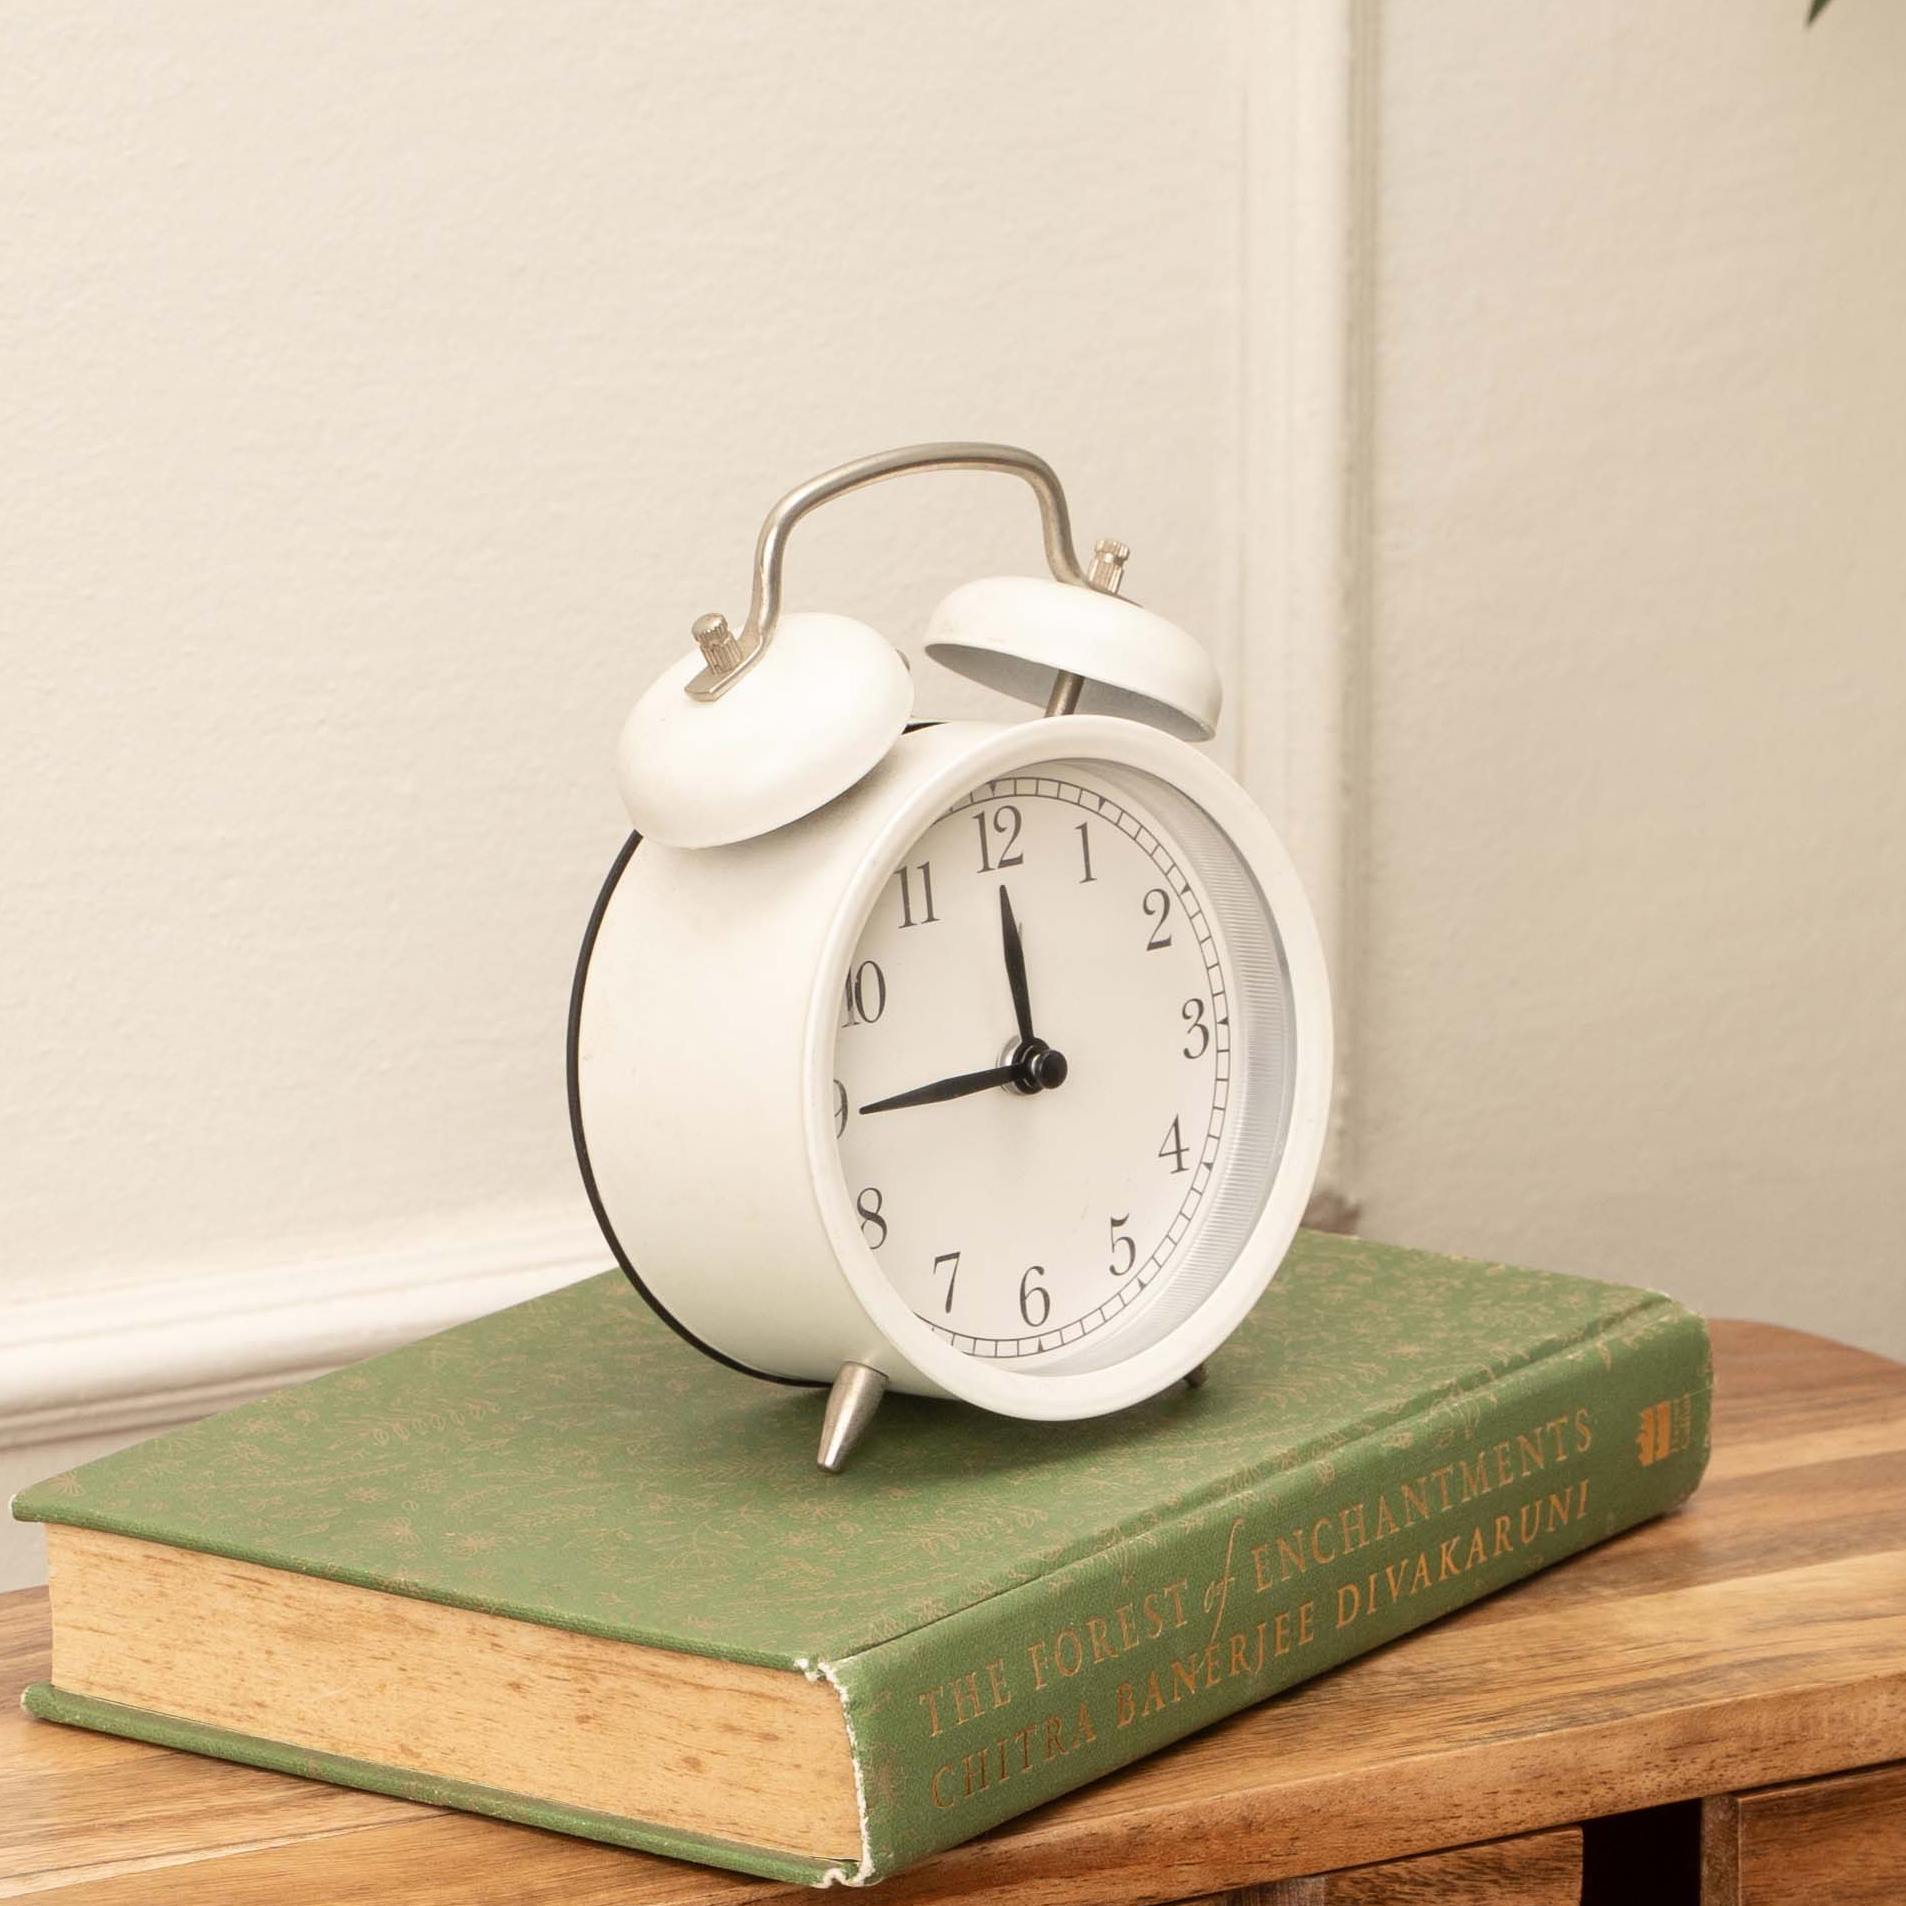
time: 11:44
